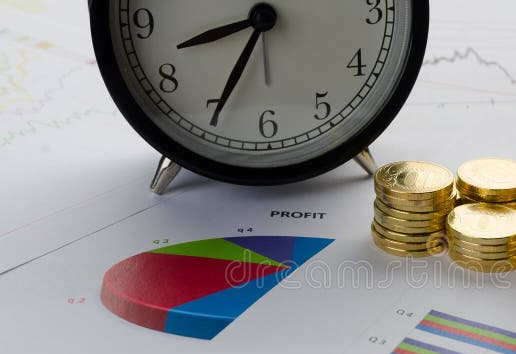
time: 8:34
